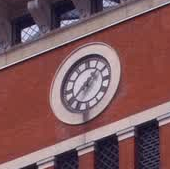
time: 1:37
